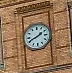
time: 1:40
